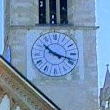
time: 10:17
